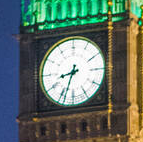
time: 8:33
